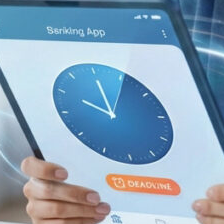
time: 10:00
